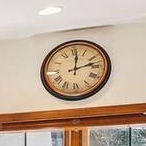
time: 12:12
